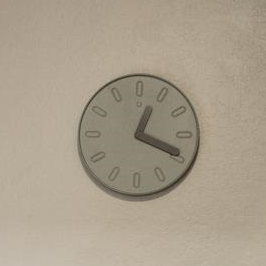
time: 12:18
